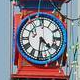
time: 4:31
